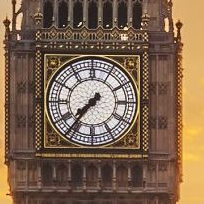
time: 7:36
